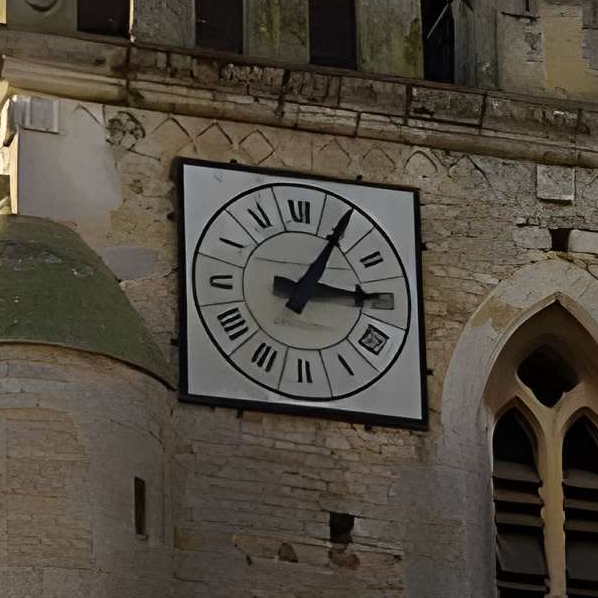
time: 3:05
